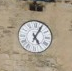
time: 5:04
